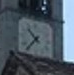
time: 10:36
